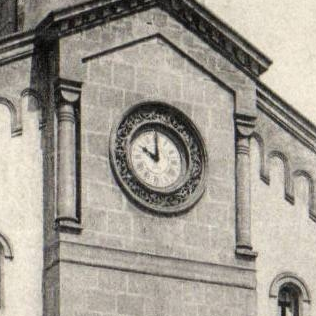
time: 10:00
